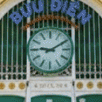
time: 9:10
